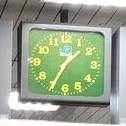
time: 1:34
